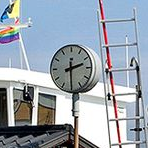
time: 2:29
